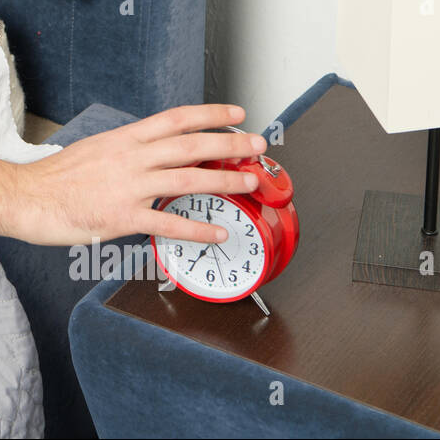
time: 6:58
